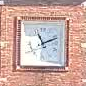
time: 11:11
